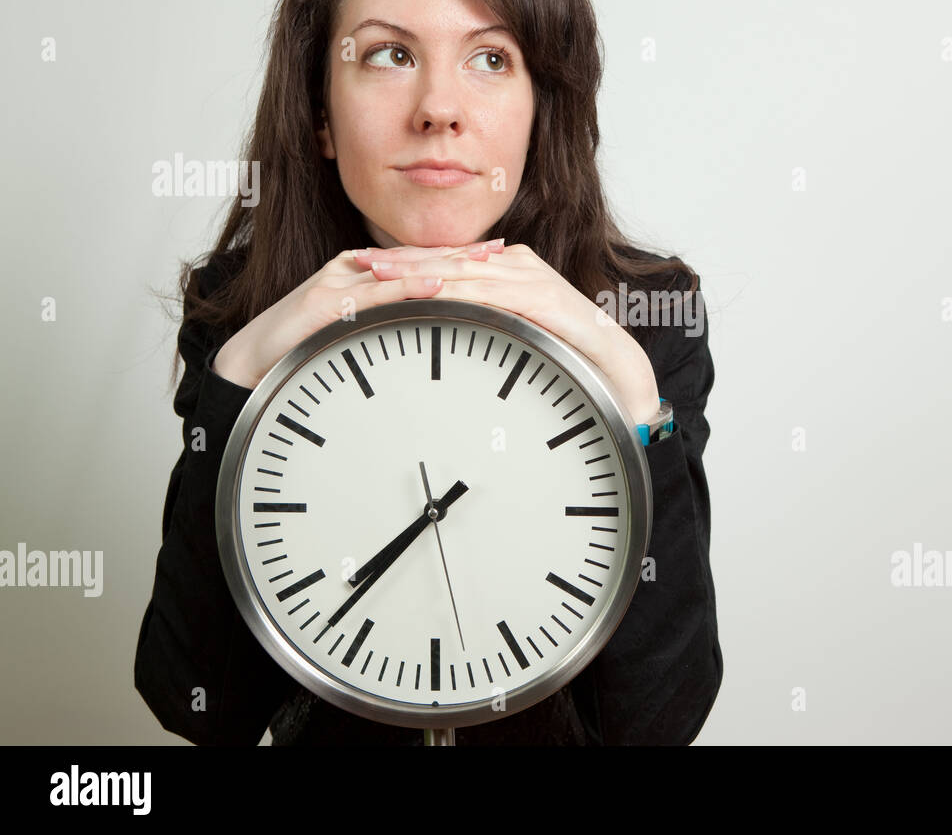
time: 7:37
